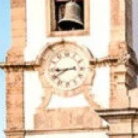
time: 8:39
